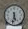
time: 5:31
